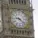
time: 9:22
